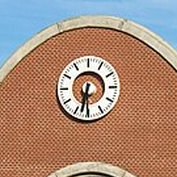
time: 6:30
